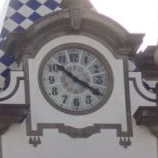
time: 10:20
